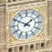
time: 1:50
